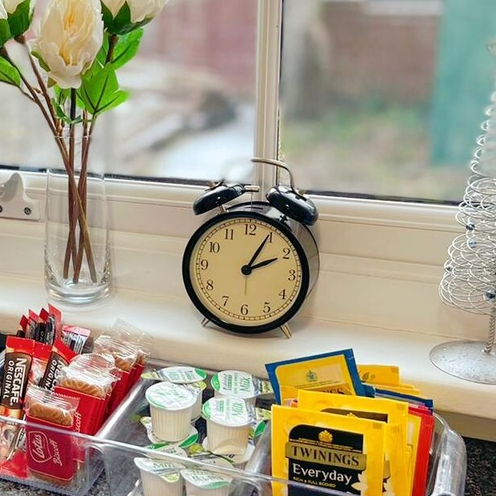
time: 2:04
